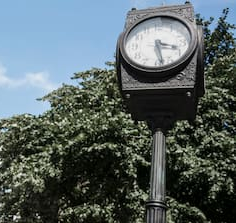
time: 3:28
